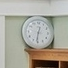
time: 12:31
